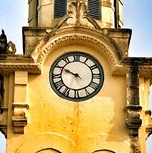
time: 9:49
